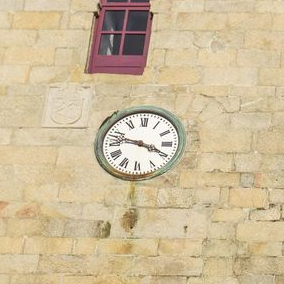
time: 3:47
